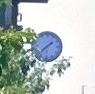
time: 1:37
